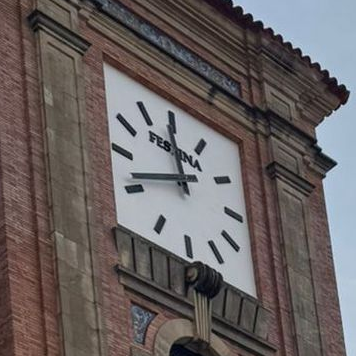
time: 11:41
